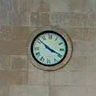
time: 3:51
